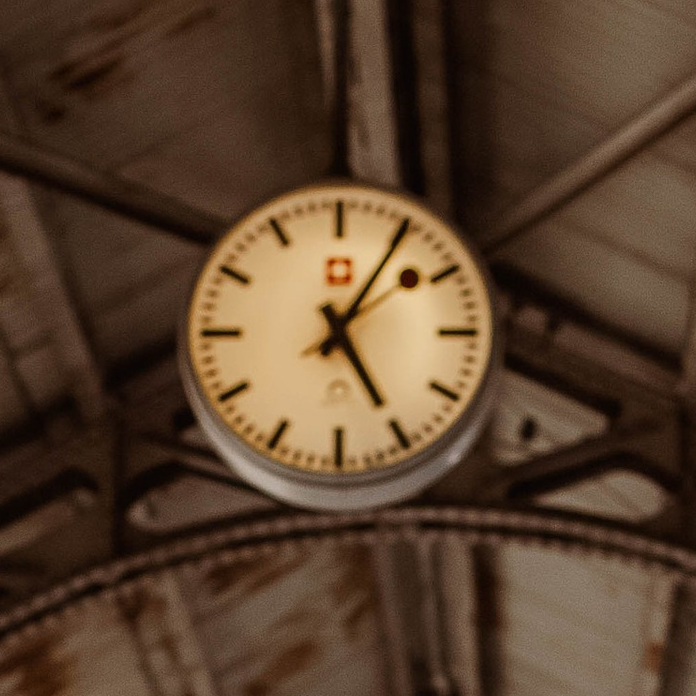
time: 5:05
